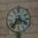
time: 3:36
